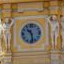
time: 10:28
